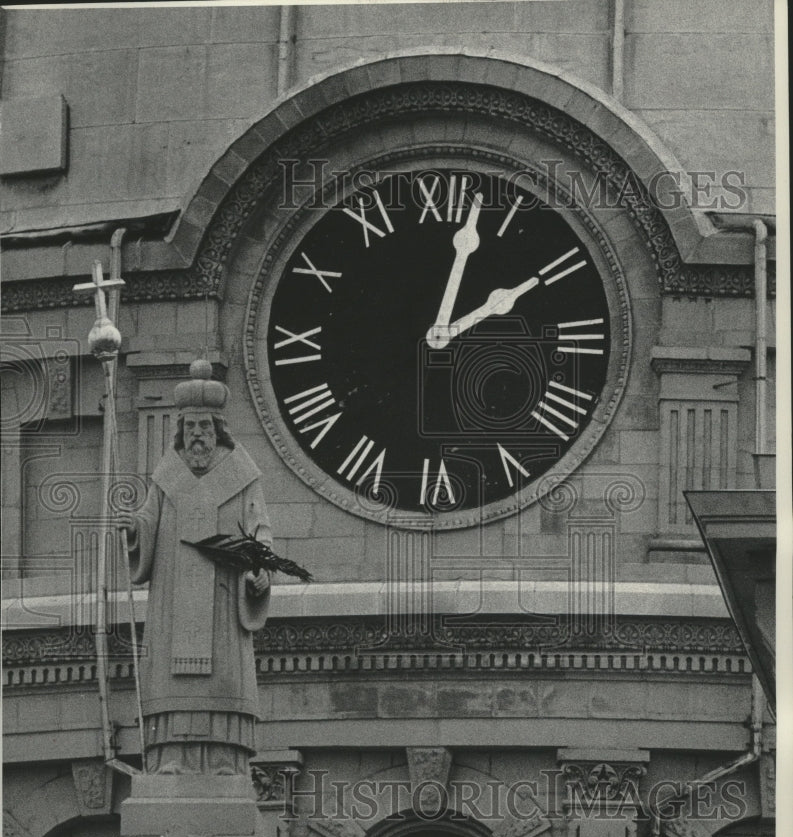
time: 2:02
